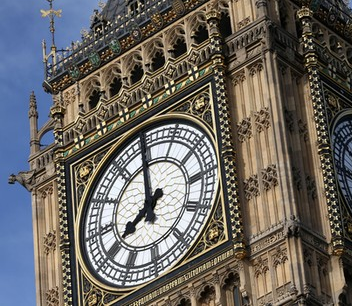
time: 7:59
